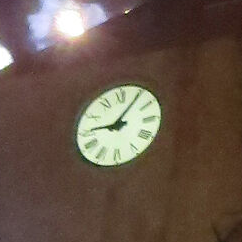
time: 9:05
